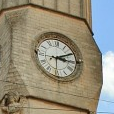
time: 3:10
